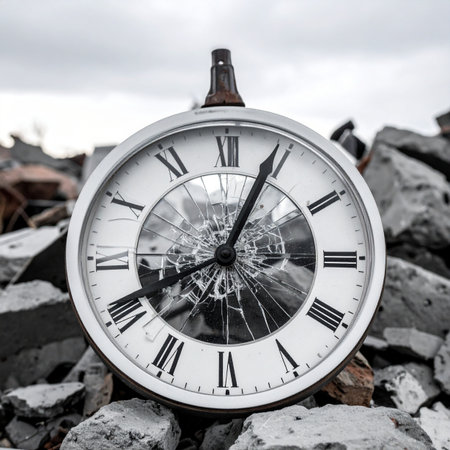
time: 8:04
